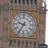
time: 9:35
